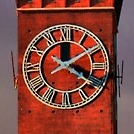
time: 4:09
